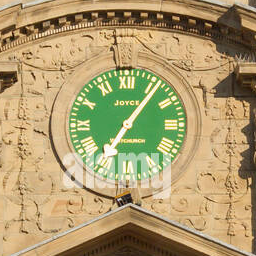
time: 7:06
